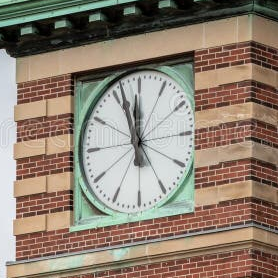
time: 11:56
